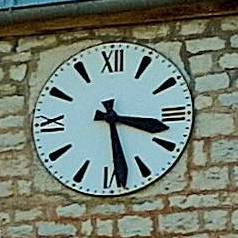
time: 3:28
